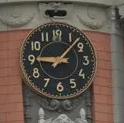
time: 9:07
